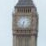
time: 6:32
